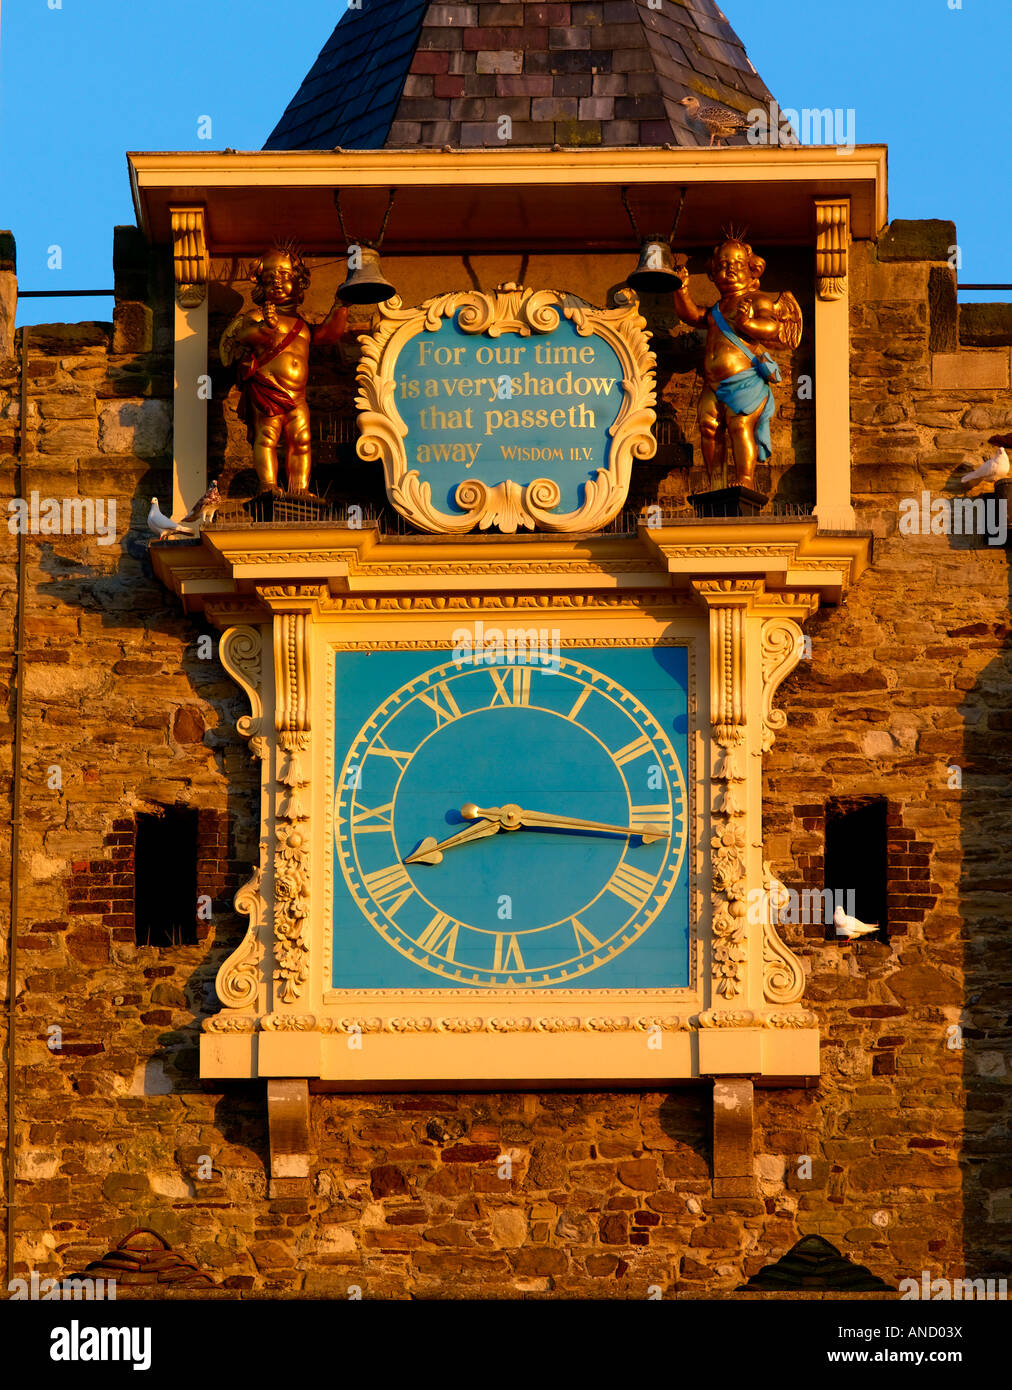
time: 8:16
